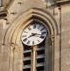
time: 8:17
